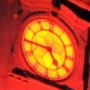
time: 4:45
